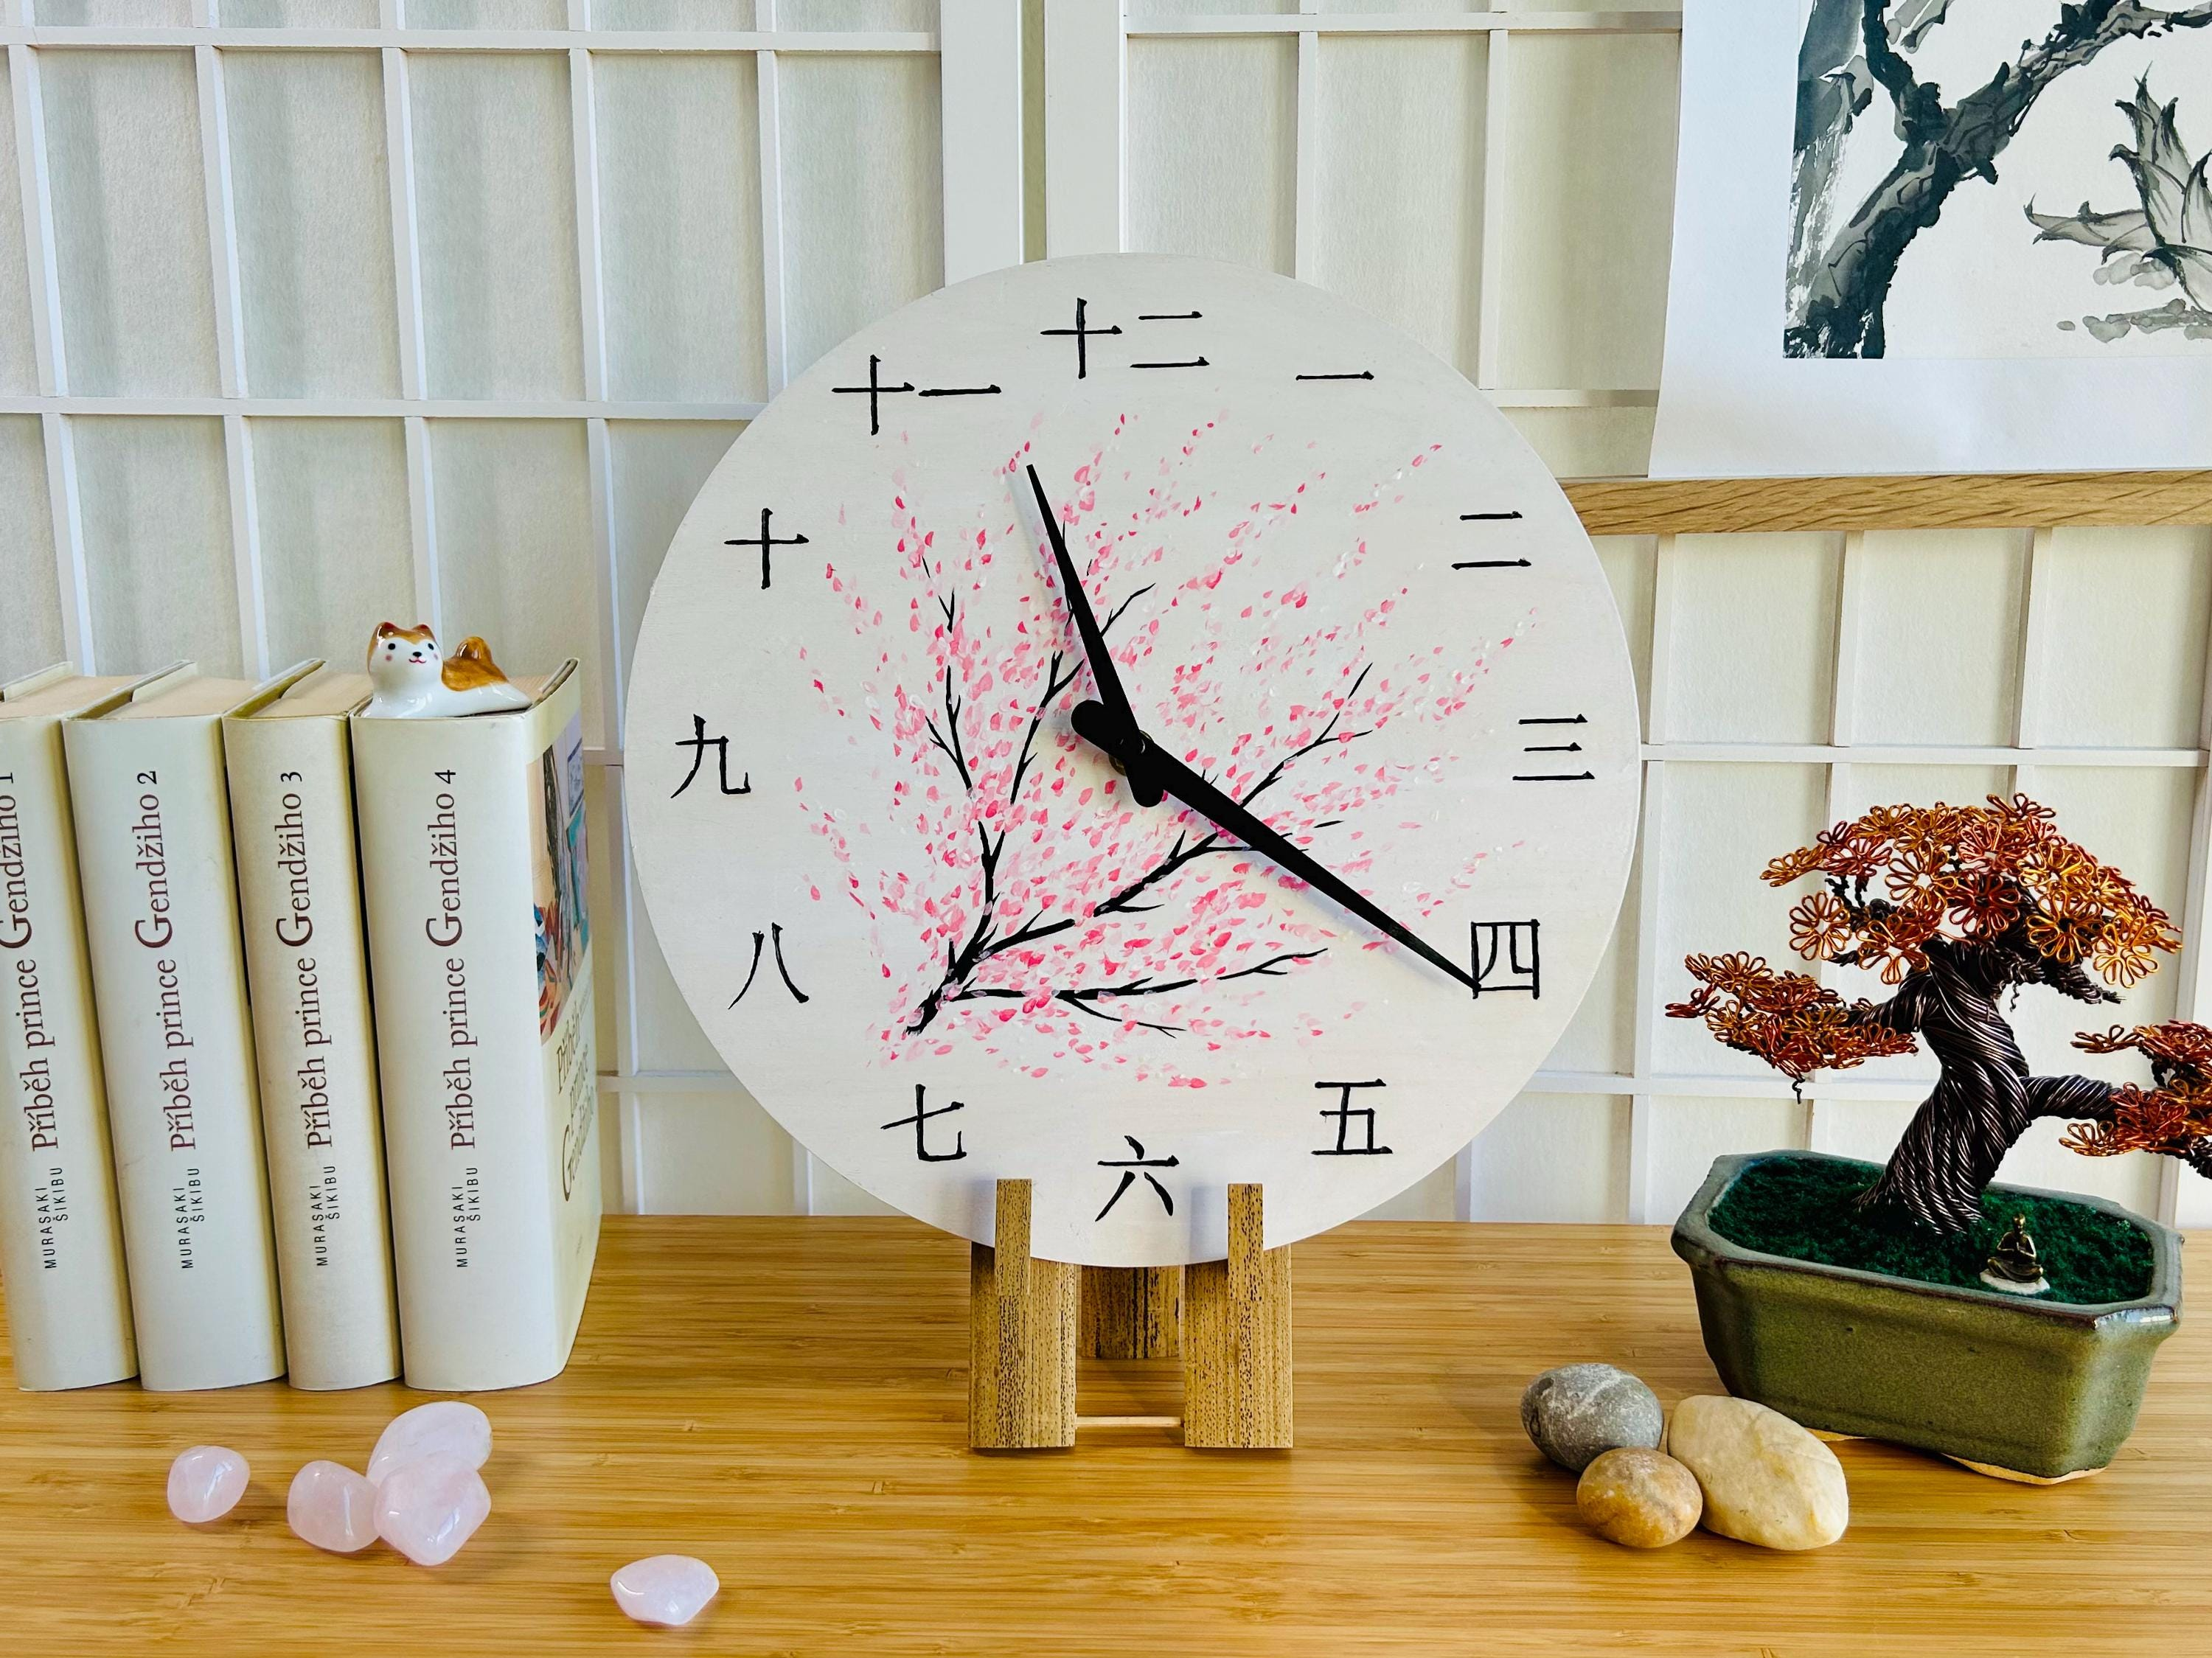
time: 11:20
